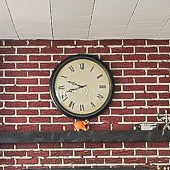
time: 9:42
